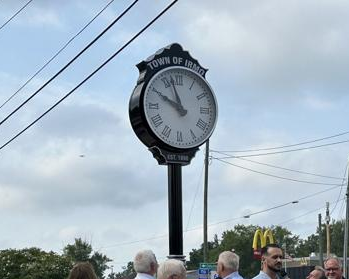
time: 9:57
